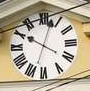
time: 10:02
